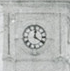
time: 12:20
